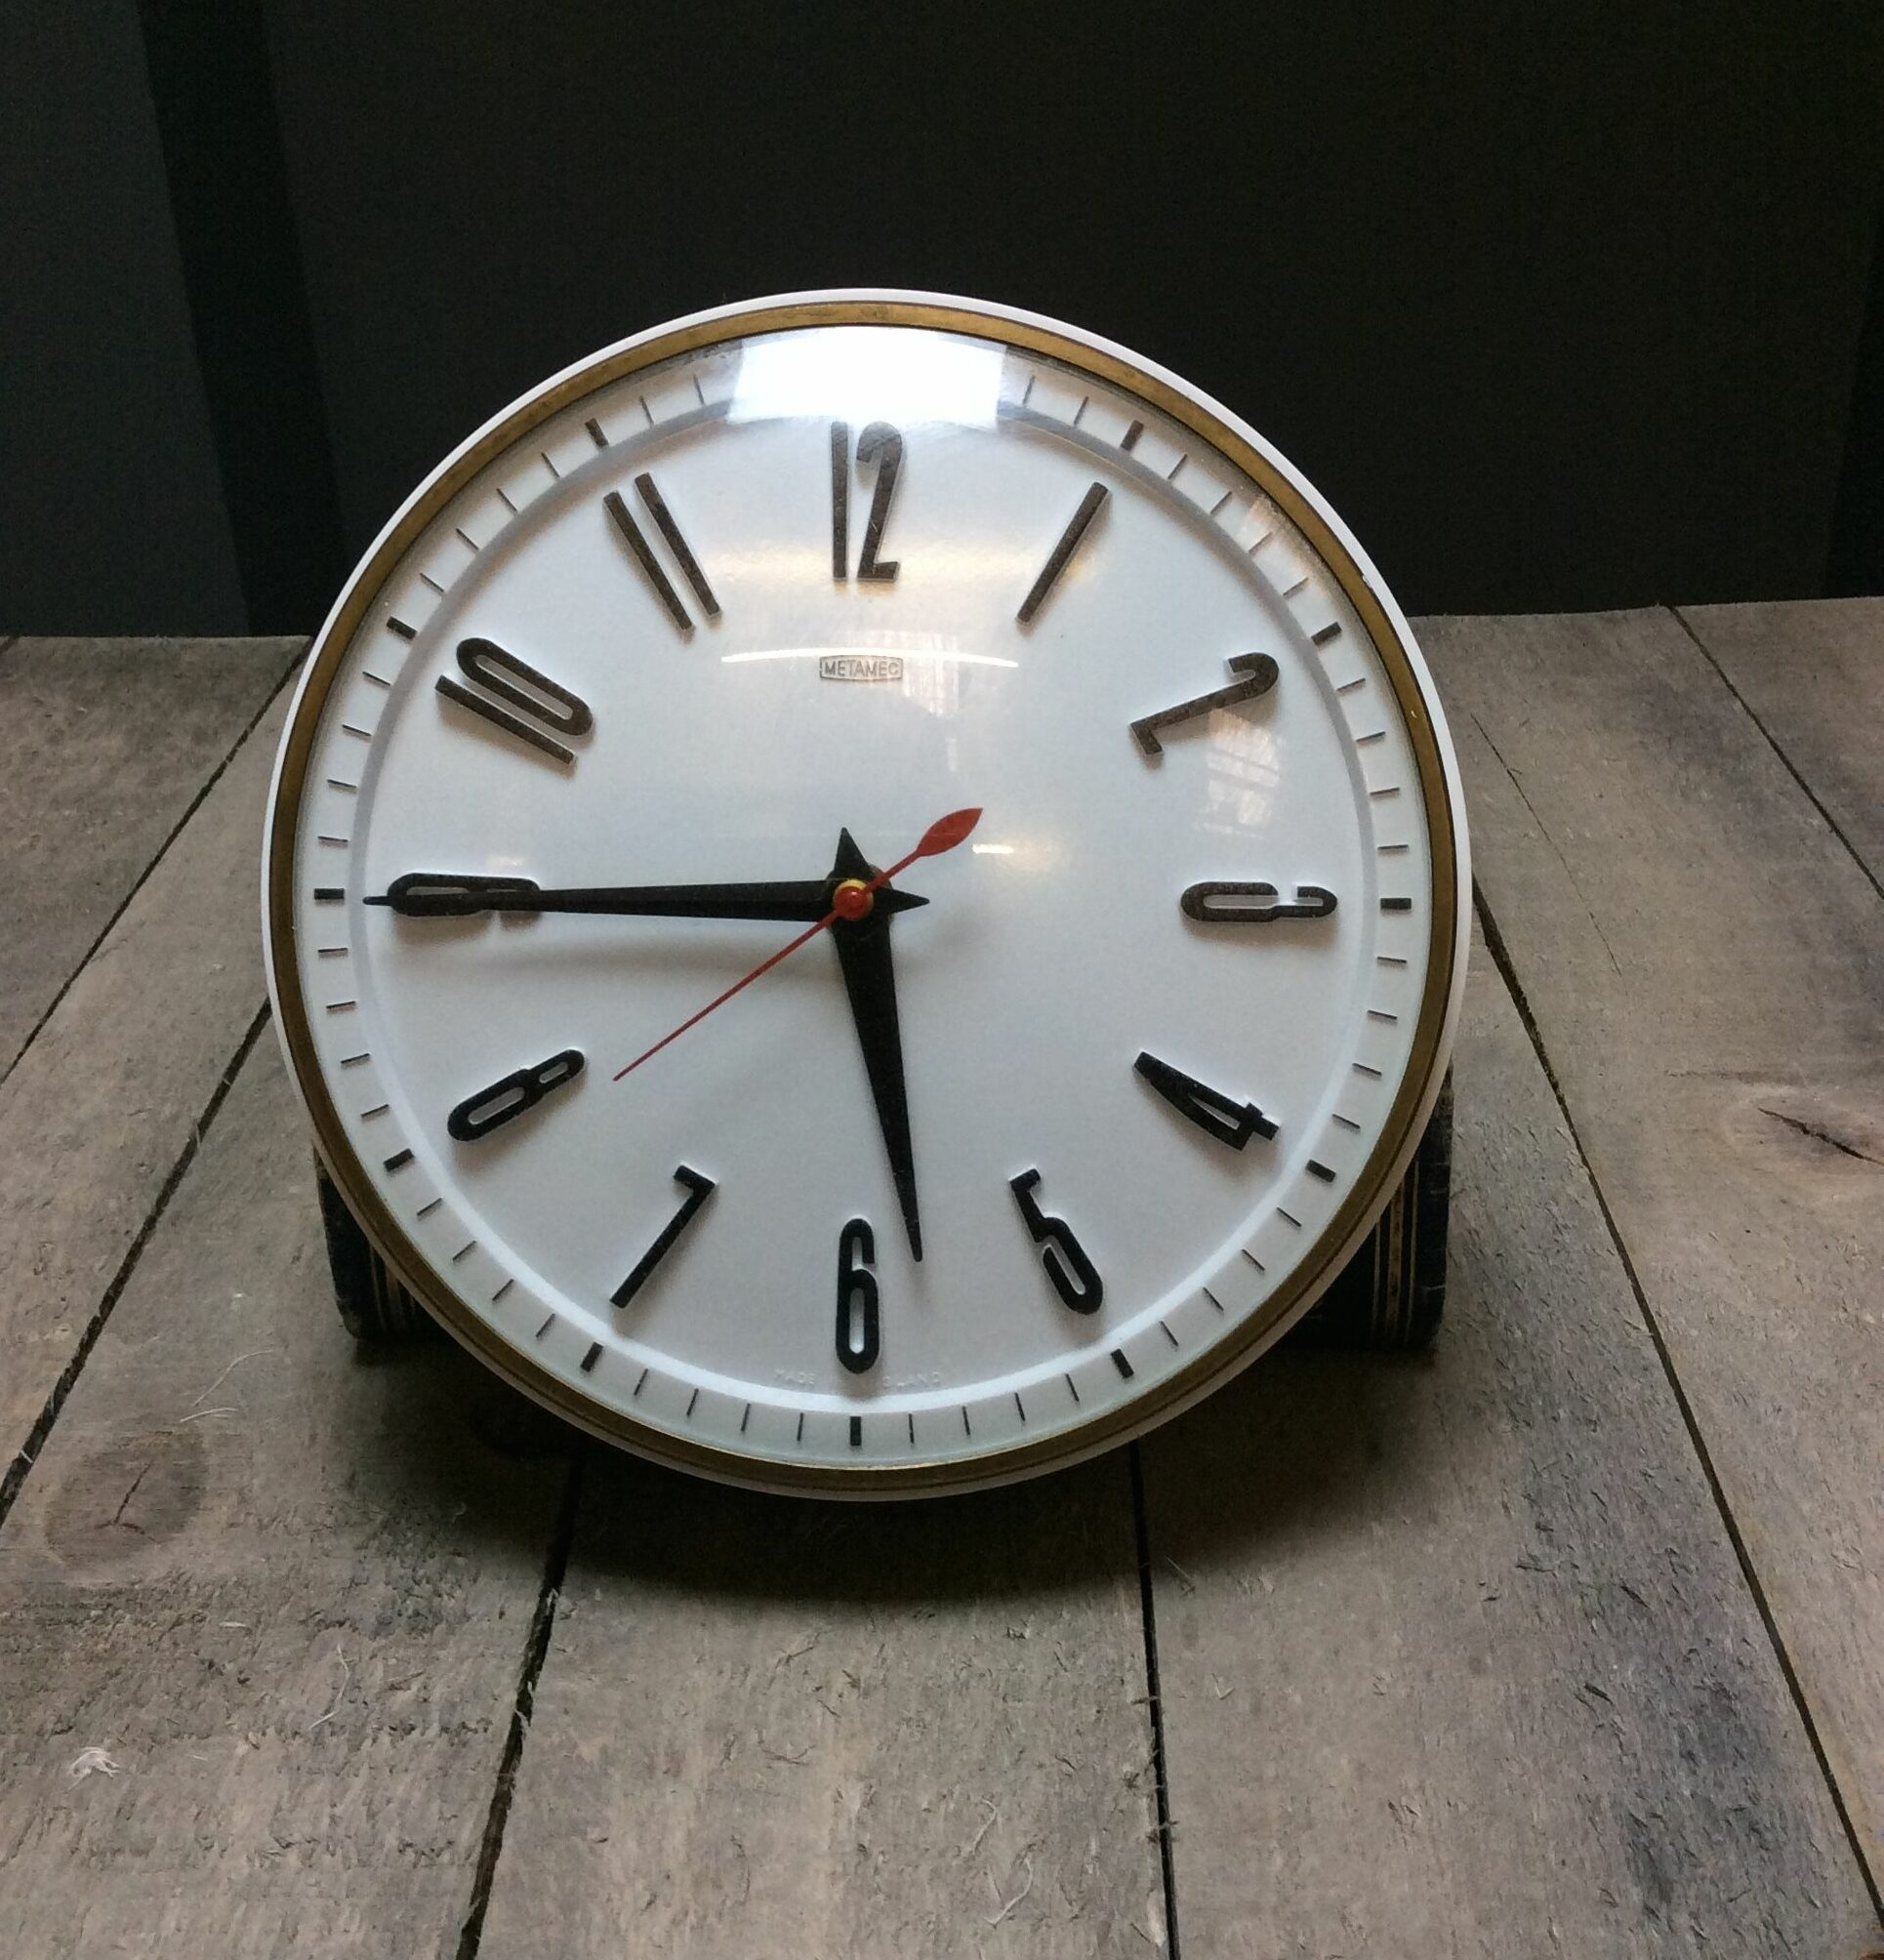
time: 5:44
